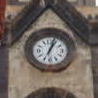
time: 1:03
